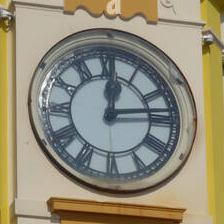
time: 12:13
